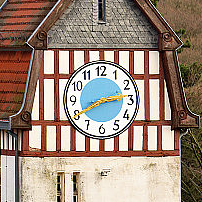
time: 2:40
